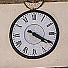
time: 4:19
